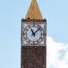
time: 11:07
